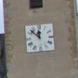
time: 11:52
